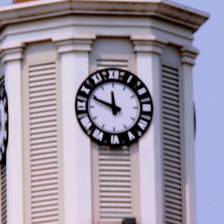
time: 11:48
